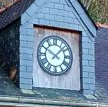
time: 10:07
